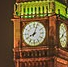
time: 8:03
